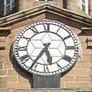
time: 5:35
